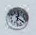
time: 12:20
